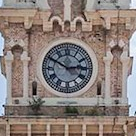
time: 2:49
